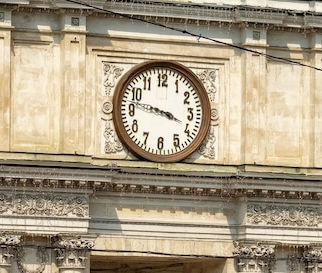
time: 3:47
